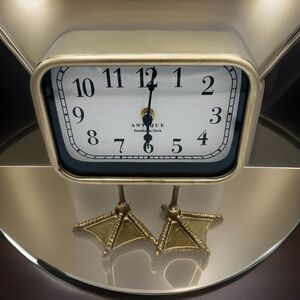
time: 6:01
